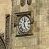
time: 12:26
